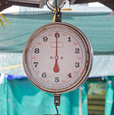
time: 5:59
